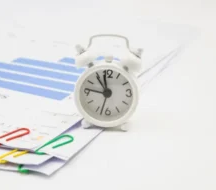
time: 11:46
